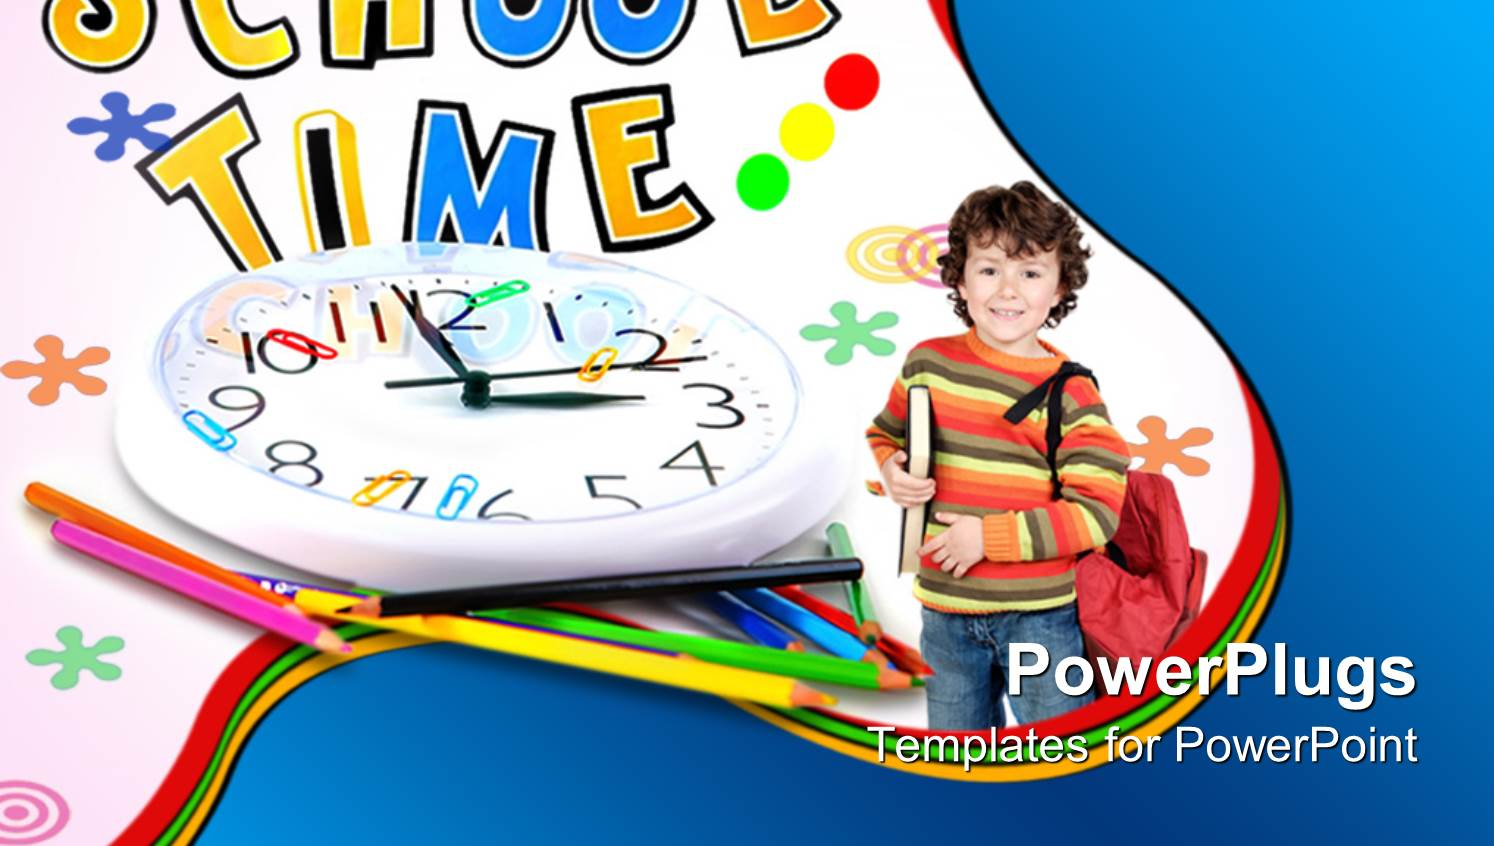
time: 2:56
